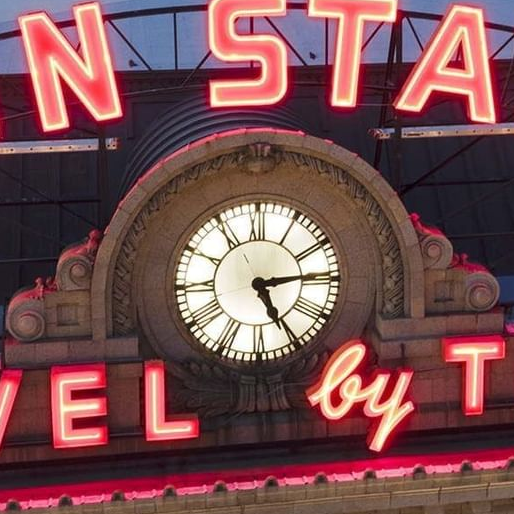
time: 5:14
